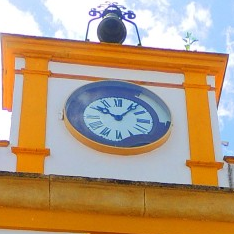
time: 10:06
